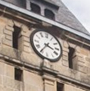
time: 3:35
